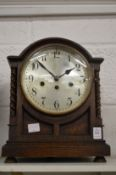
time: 1:52
